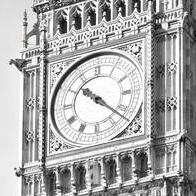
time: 10:22
